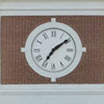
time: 7:08
